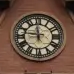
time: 11:46
